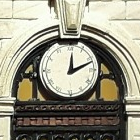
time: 12:11
